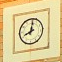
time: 8:01
